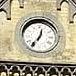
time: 12:36
